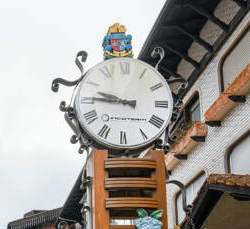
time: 9:45
